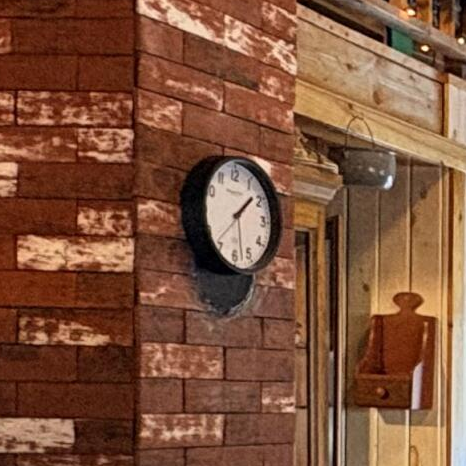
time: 1:28
